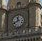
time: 11:40
